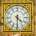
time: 4:30
